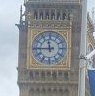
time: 11:44
